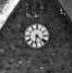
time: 6:21
